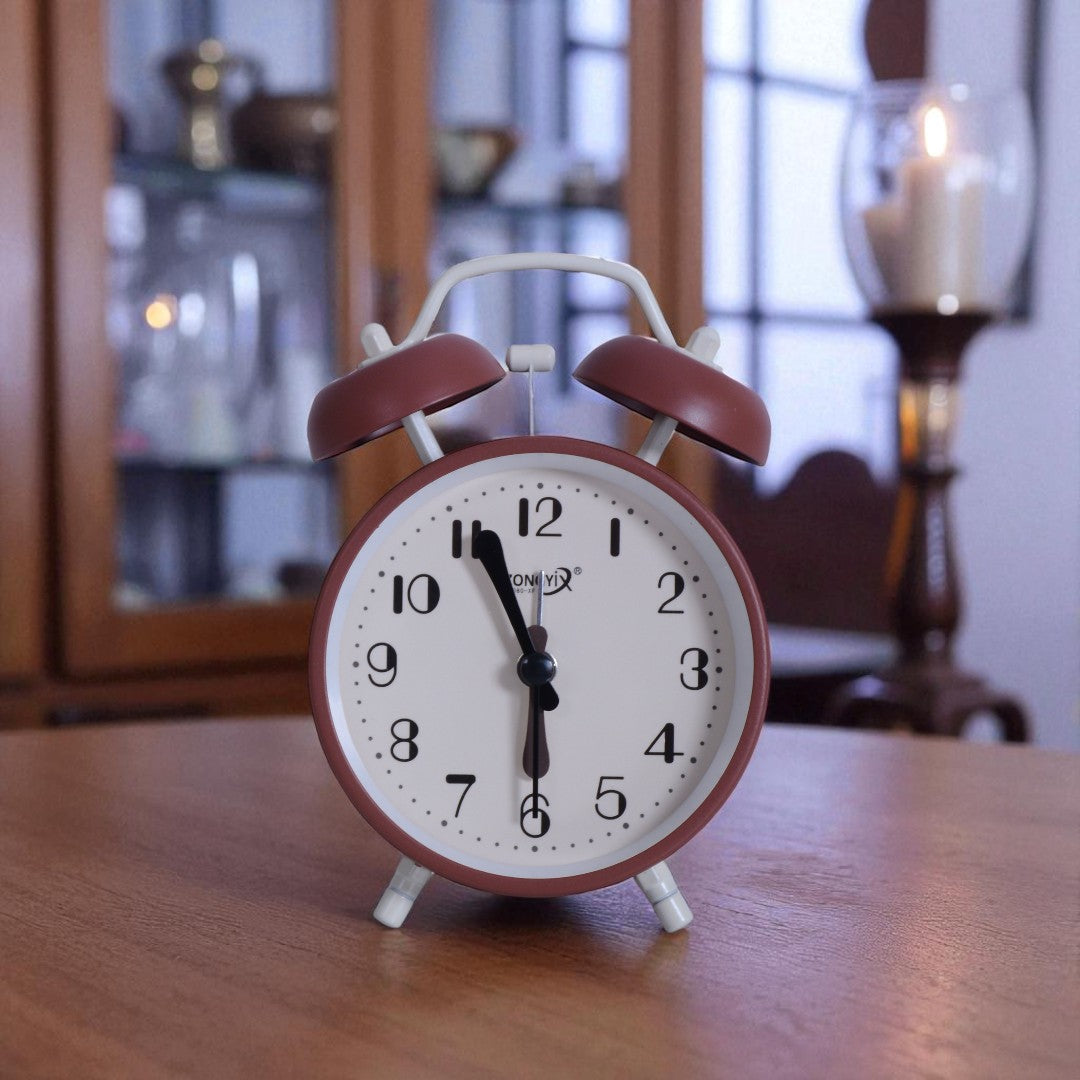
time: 5:56
